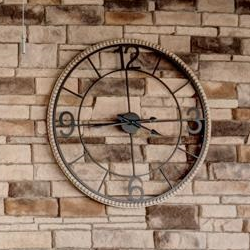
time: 3:44
